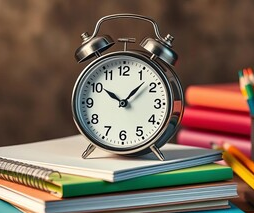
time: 10:07
